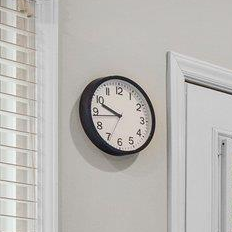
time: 9:43
